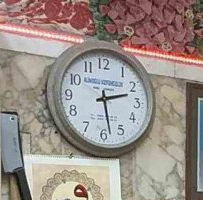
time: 2:28
